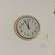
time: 11:54
